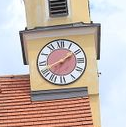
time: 1:41
